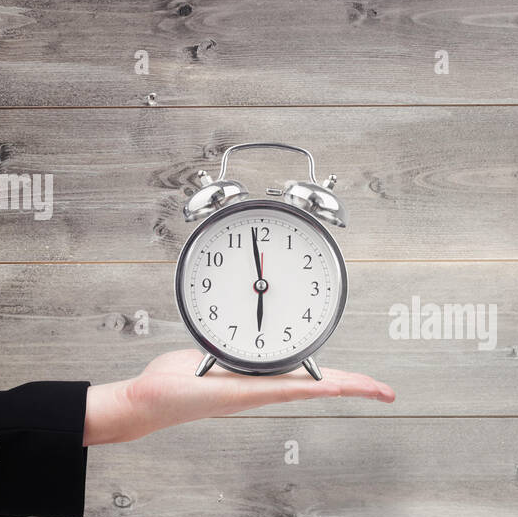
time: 5:58
